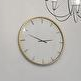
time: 2:48
